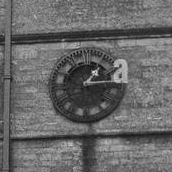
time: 1:14
